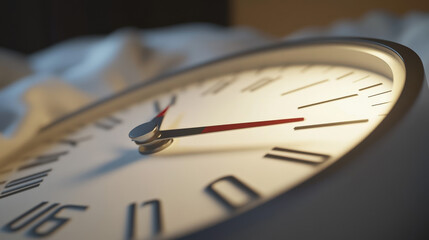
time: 7:16
